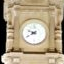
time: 9:40
